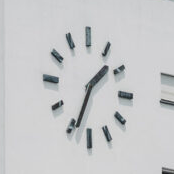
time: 1:33
